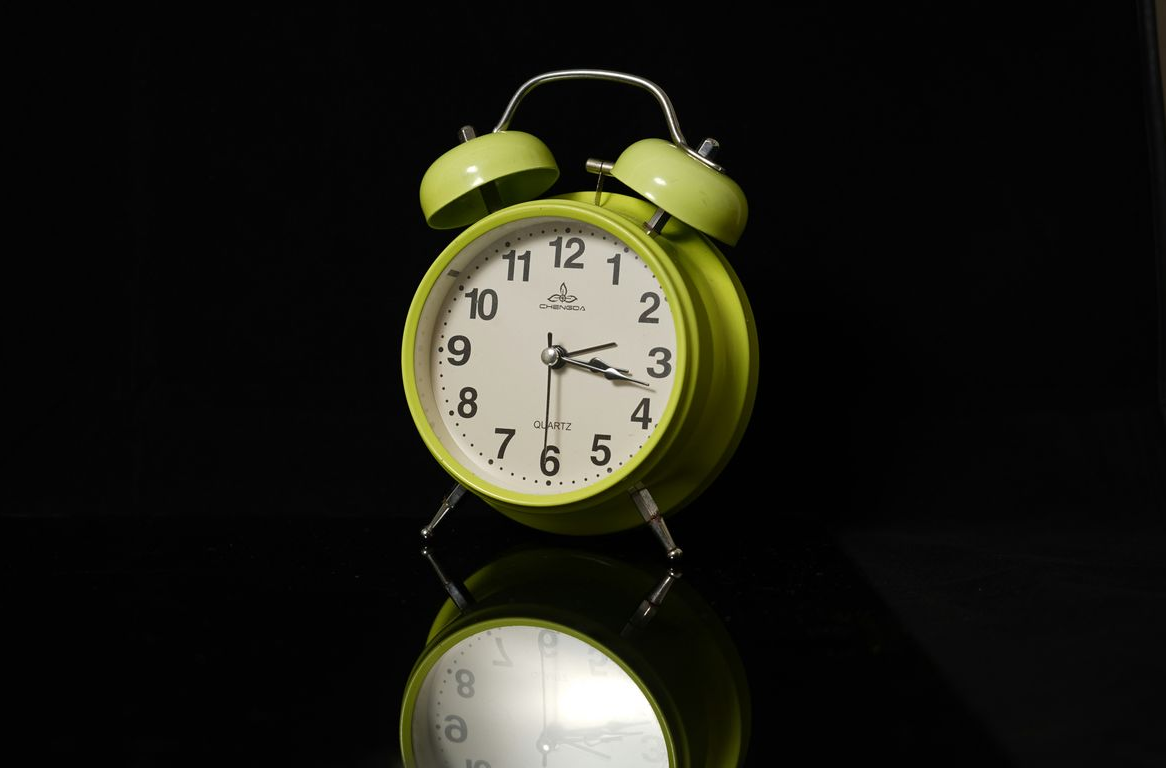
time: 3:17
